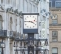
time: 3:45
